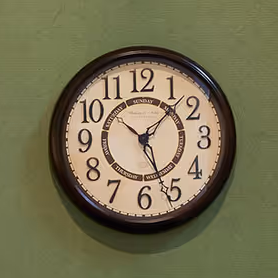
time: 1:26
